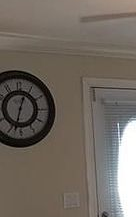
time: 12:32
